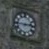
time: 2:45
